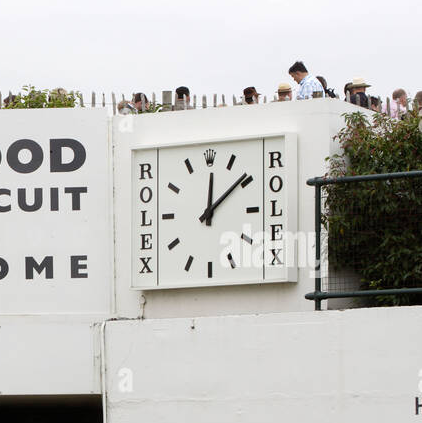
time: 12:08
